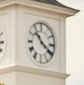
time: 10:20
